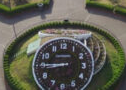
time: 8:45
